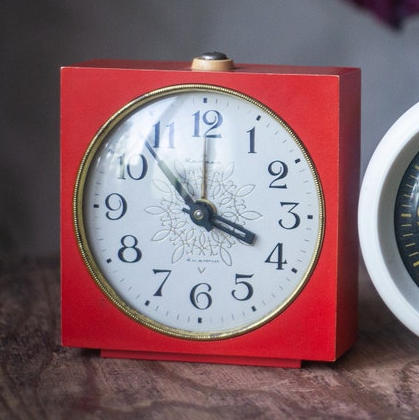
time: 3:52
